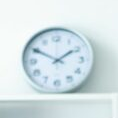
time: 1:50
